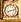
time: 8:12
